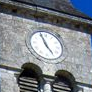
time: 4:56
